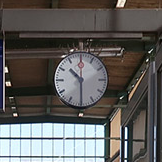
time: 10:29
